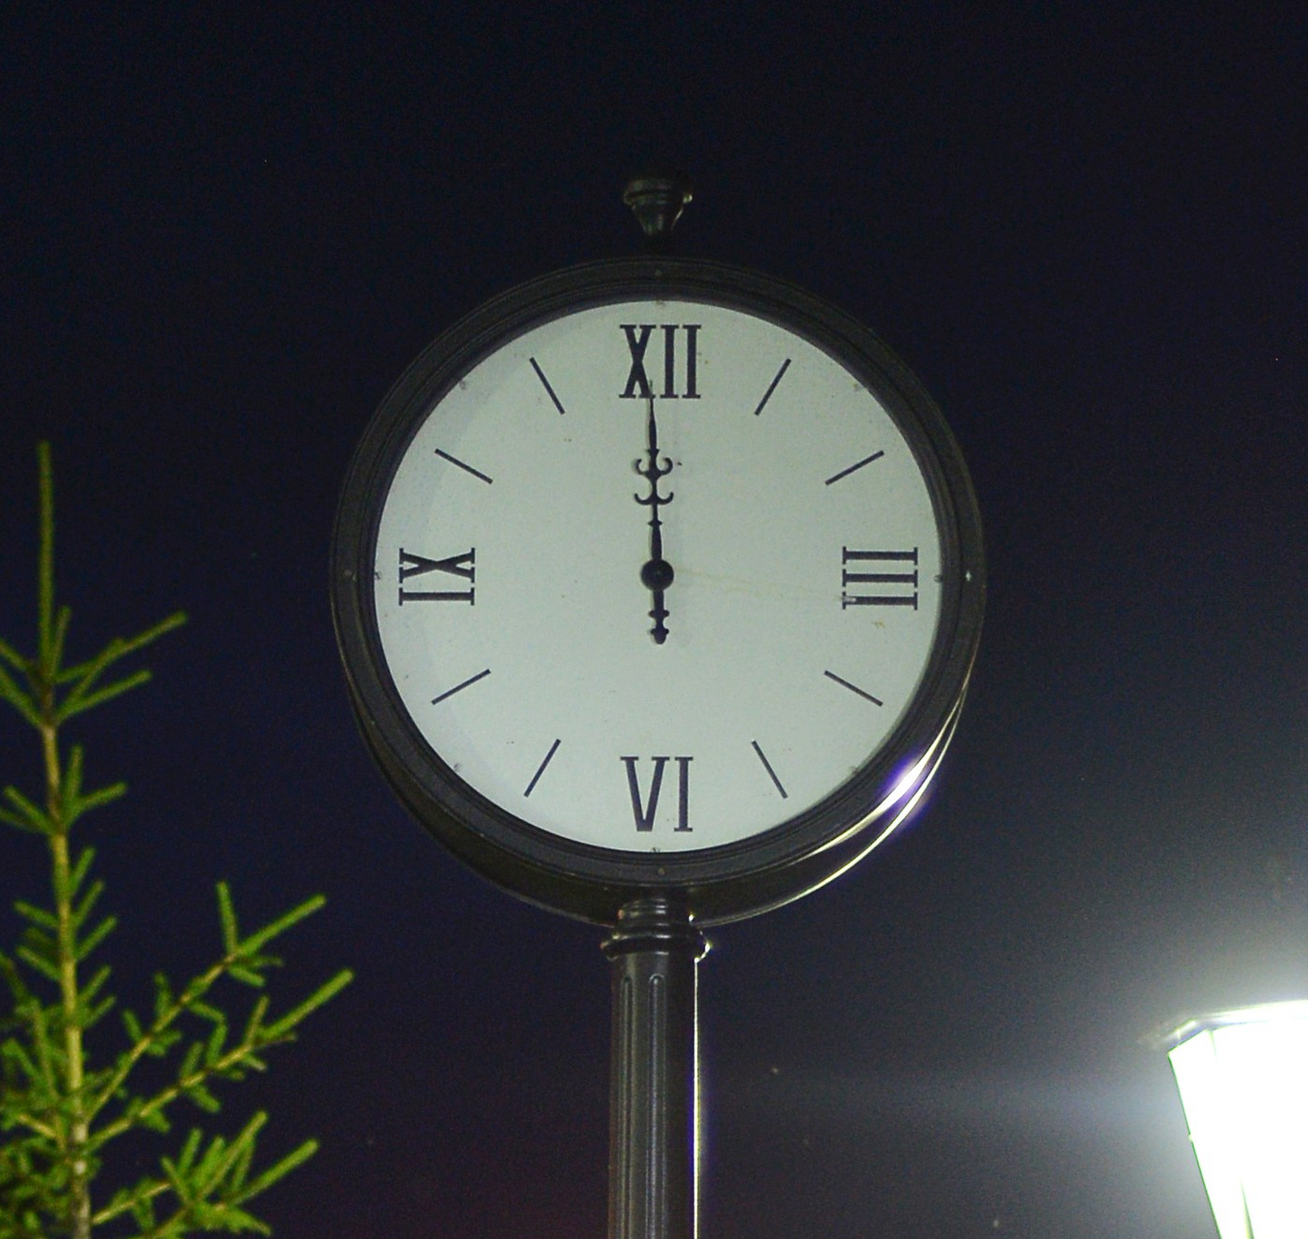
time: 11:59
